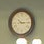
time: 10:14
